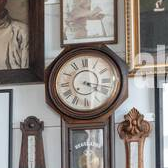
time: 4:17
